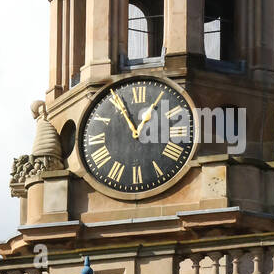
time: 12:55
